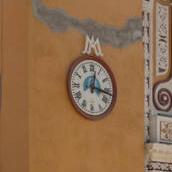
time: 12:16
